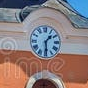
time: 1:29
